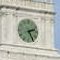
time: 2:25
